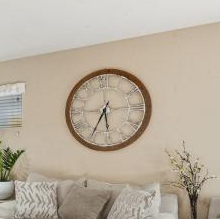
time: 5:35
